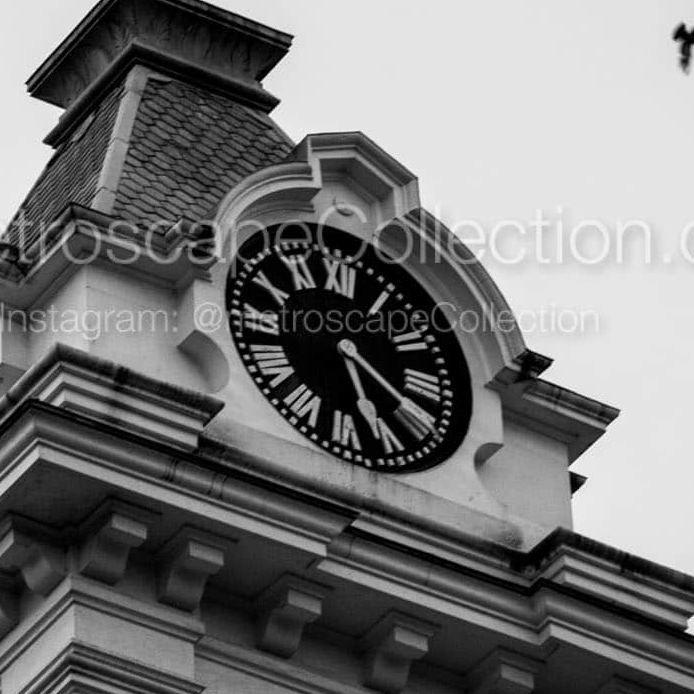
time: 5:19
